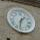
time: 1:32
